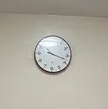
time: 10:17
